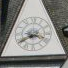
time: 3:40
